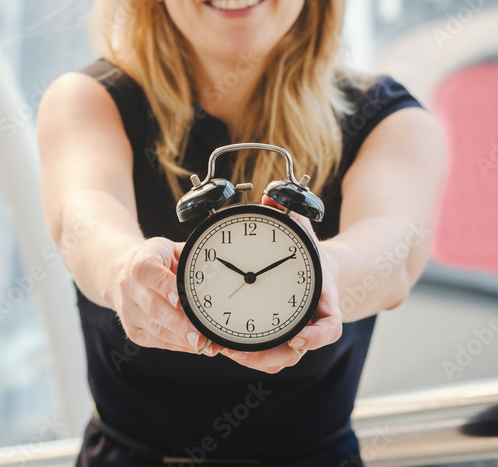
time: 10:10
